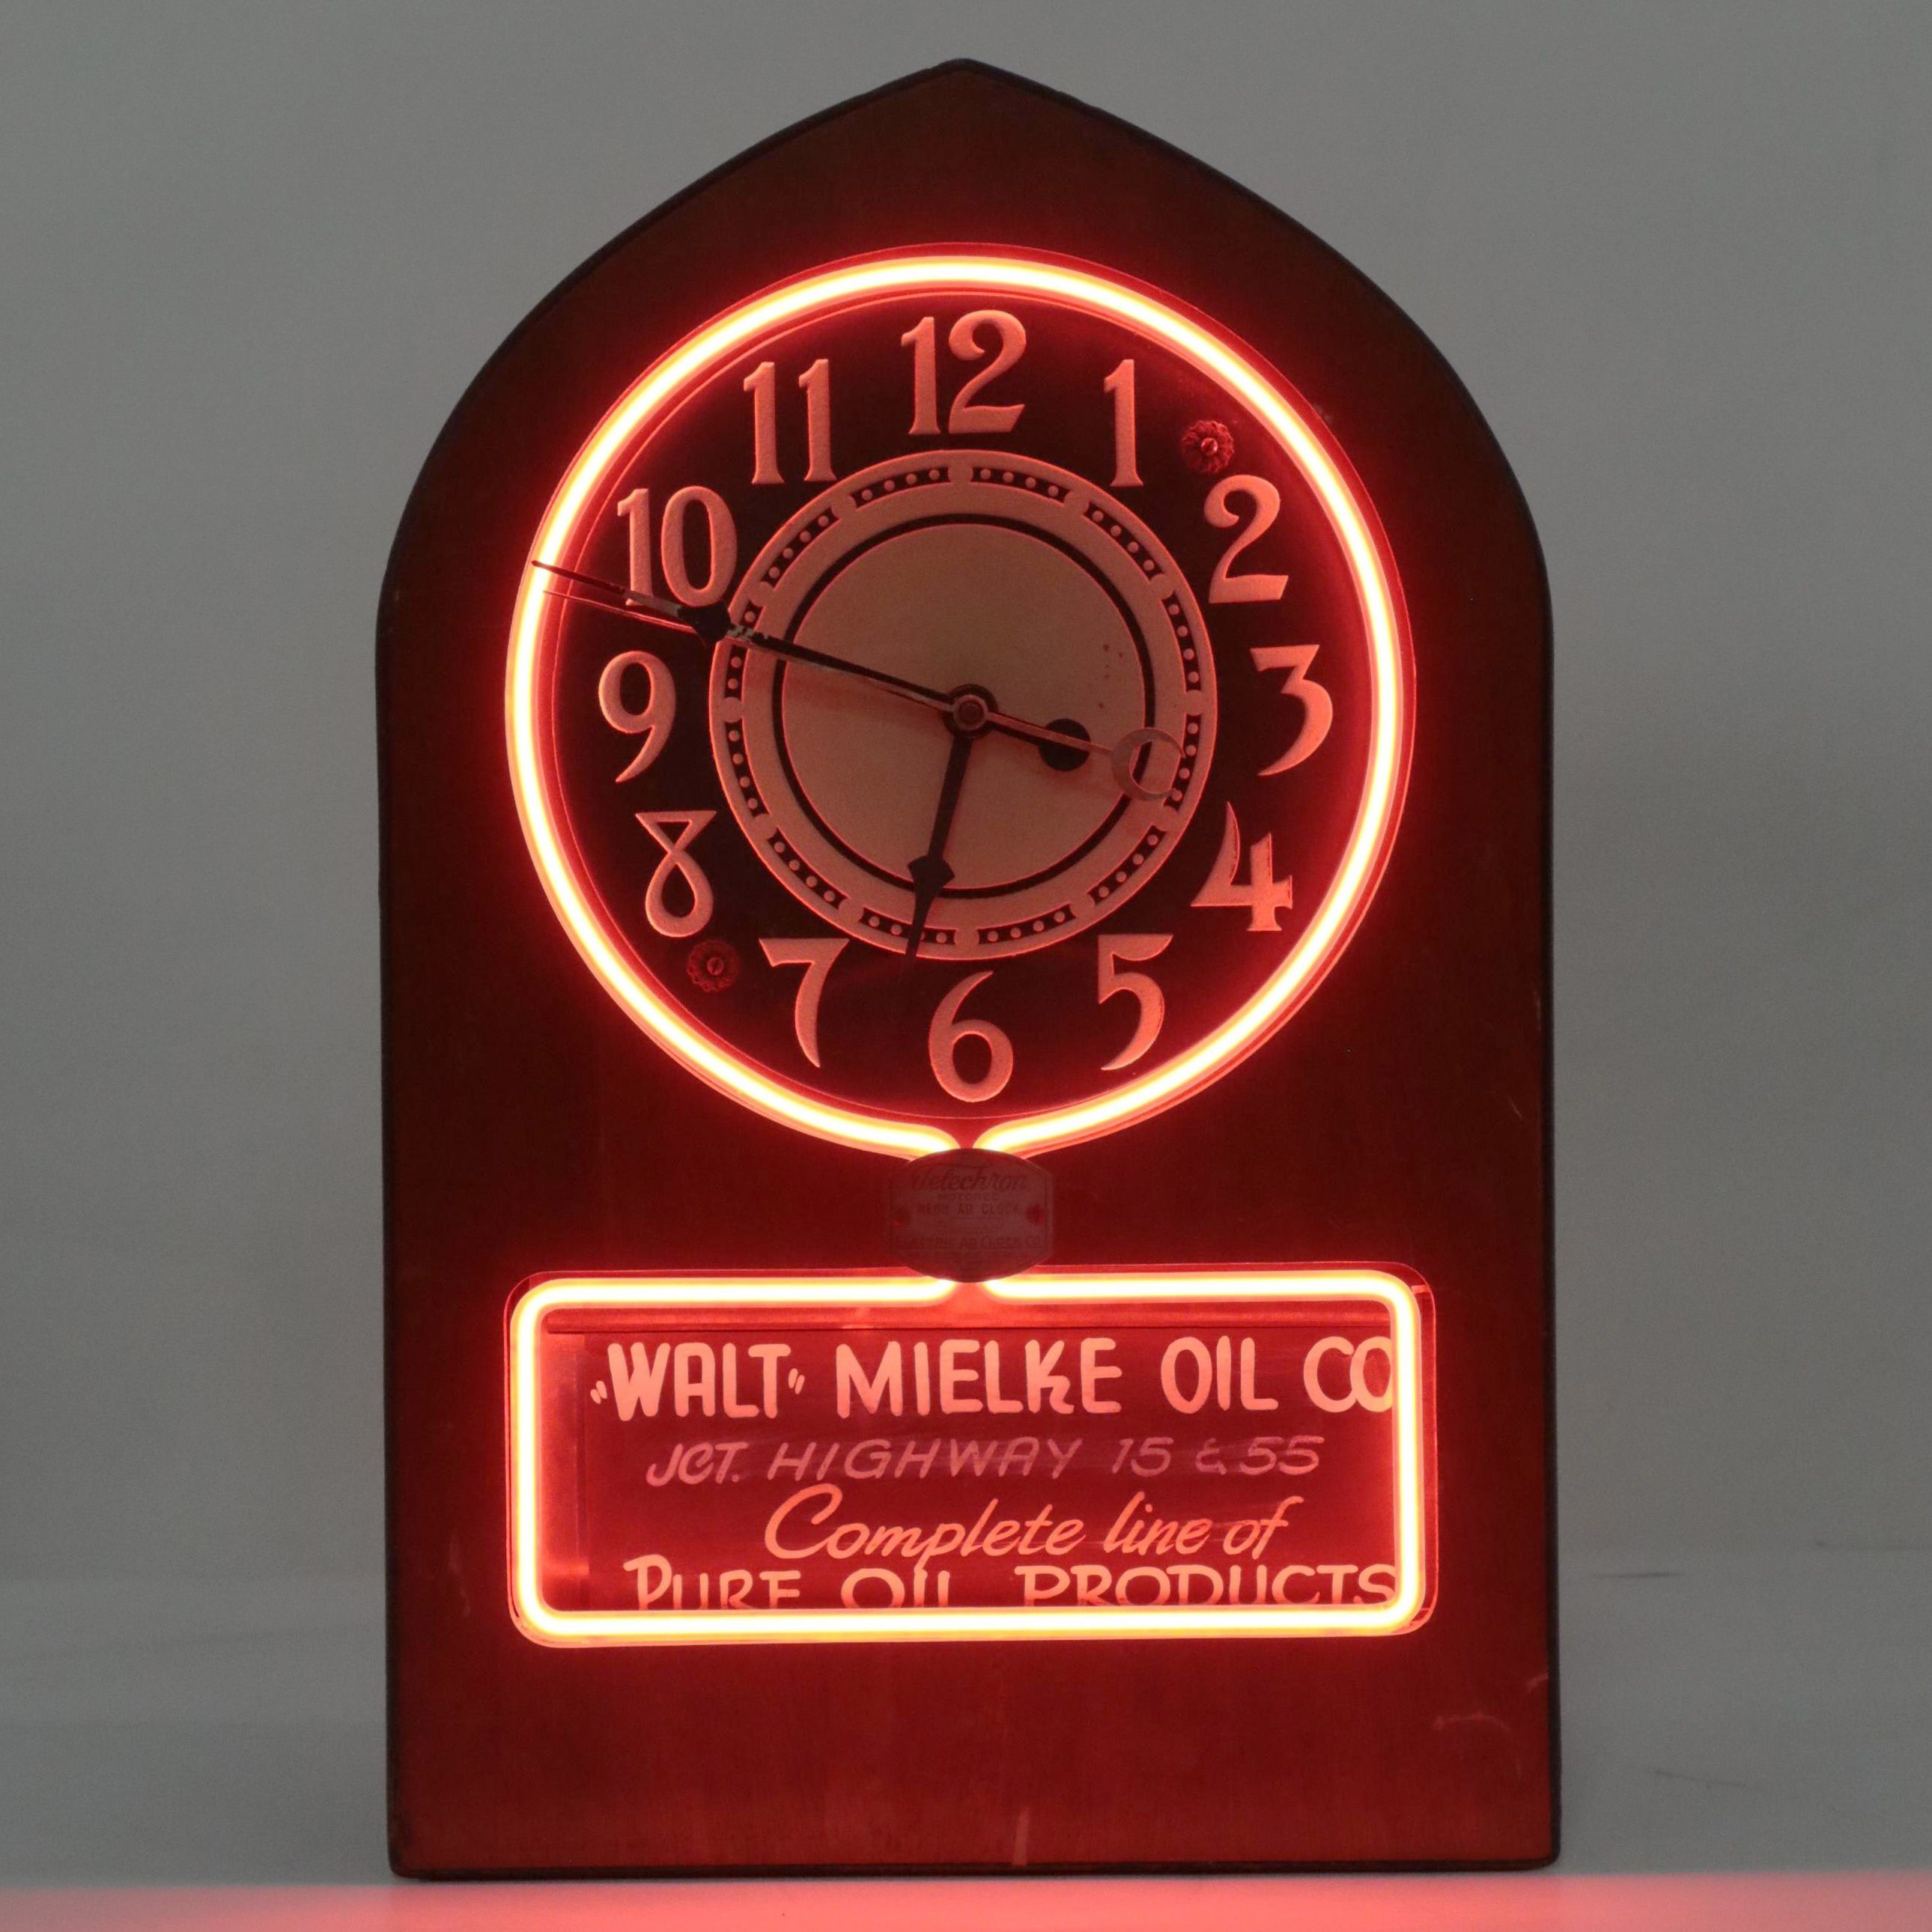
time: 6:47
